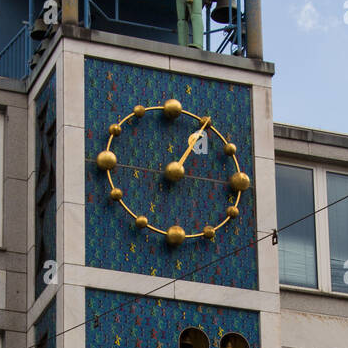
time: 1:16
